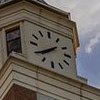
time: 7:39
